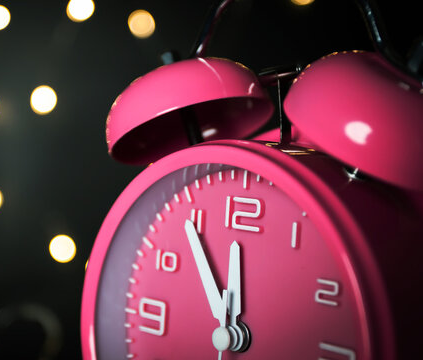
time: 11:54
